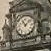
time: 11:07
